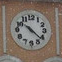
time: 10:21
